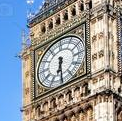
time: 6:29
